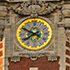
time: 7:49
